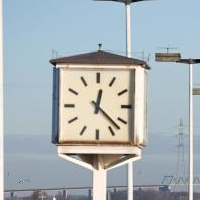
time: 12:22
